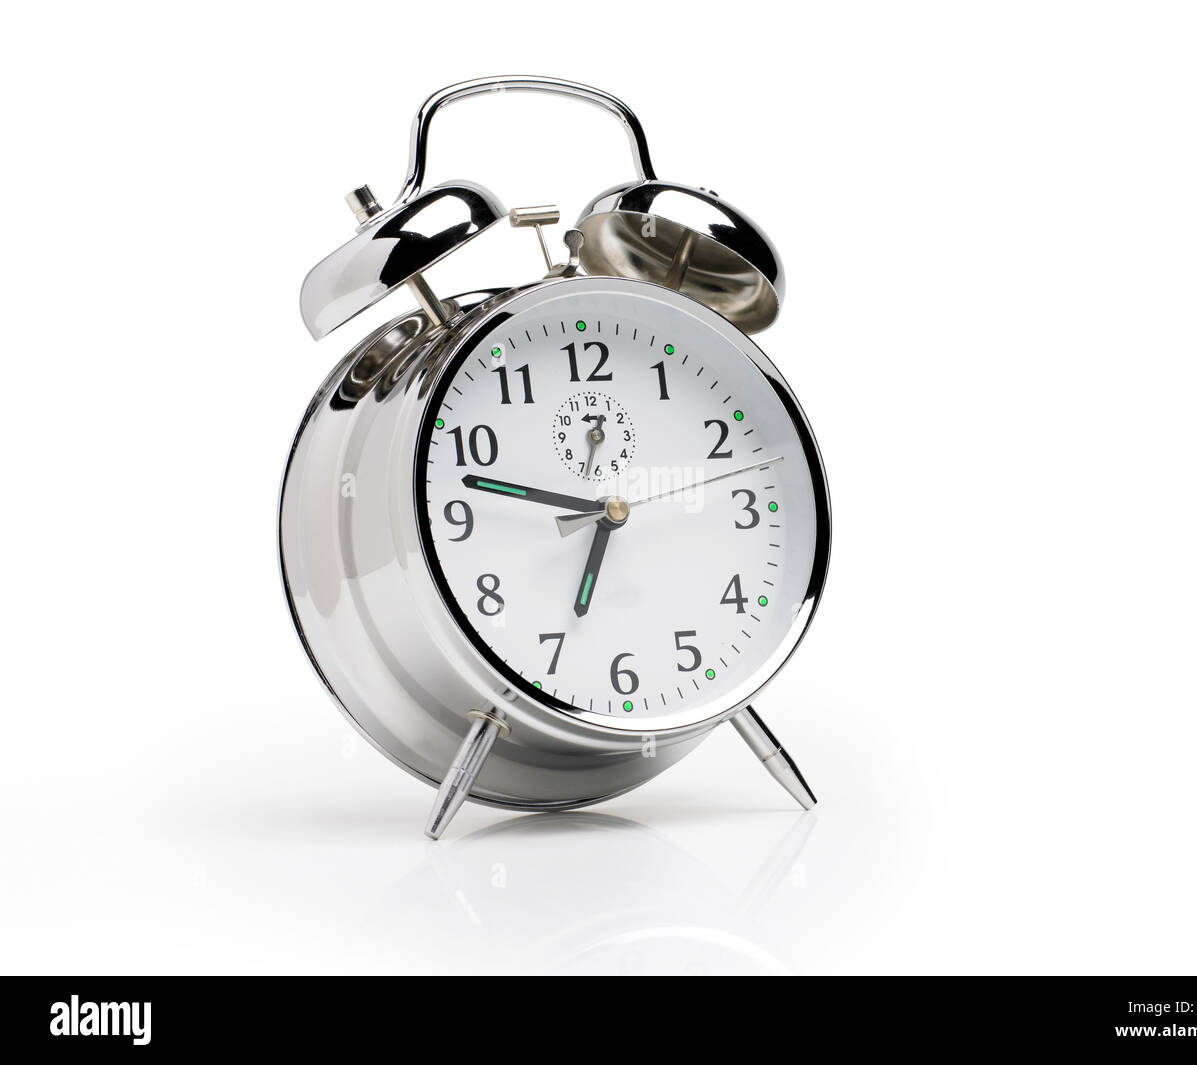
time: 6:47
